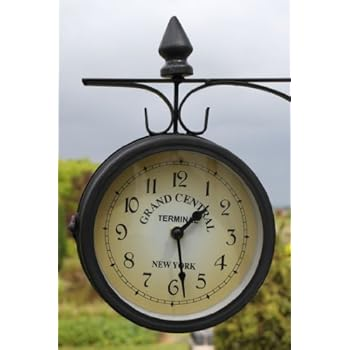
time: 1:28
